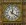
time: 12:21
